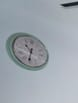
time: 10:32
